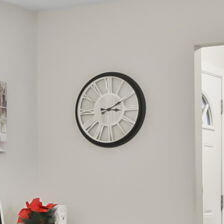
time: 3:10
